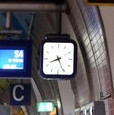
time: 8:25
